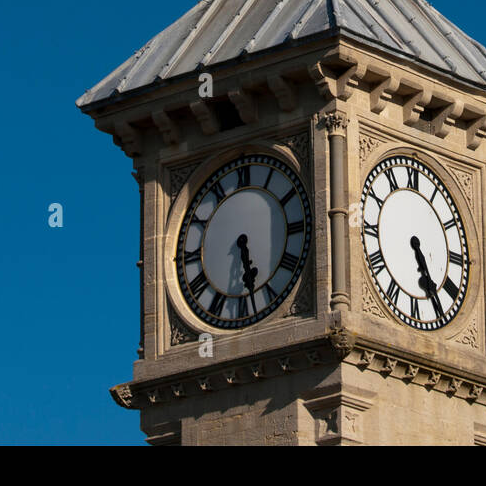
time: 5:28
